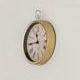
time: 11:44
